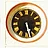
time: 5:26
